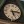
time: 5:14
